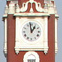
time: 12:58
